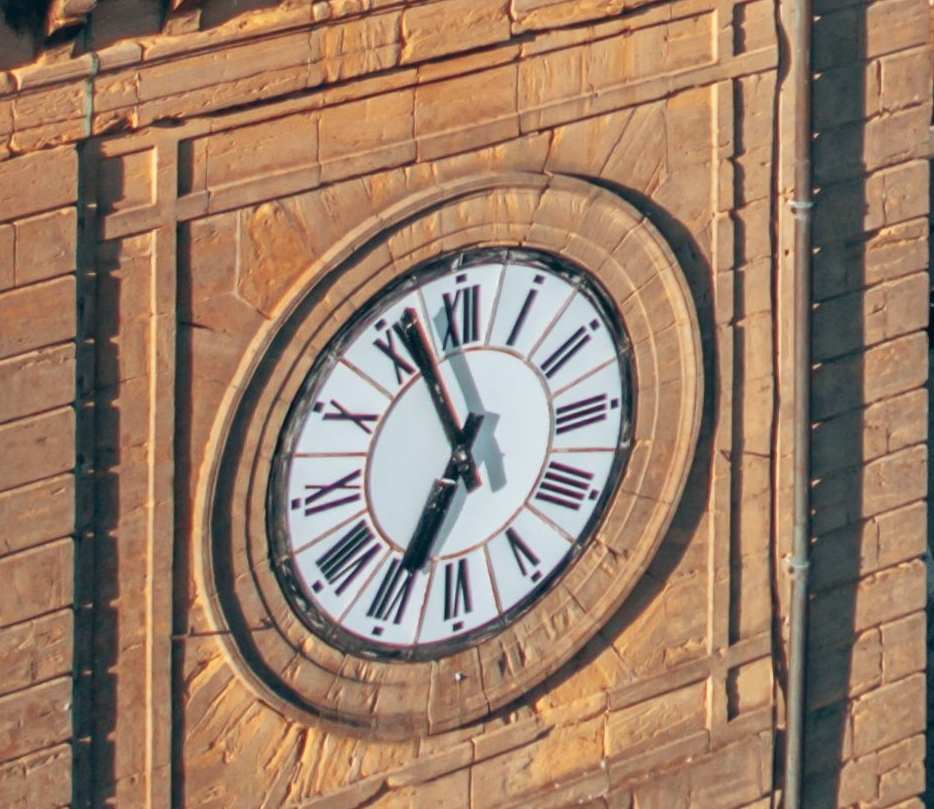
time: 6:56
